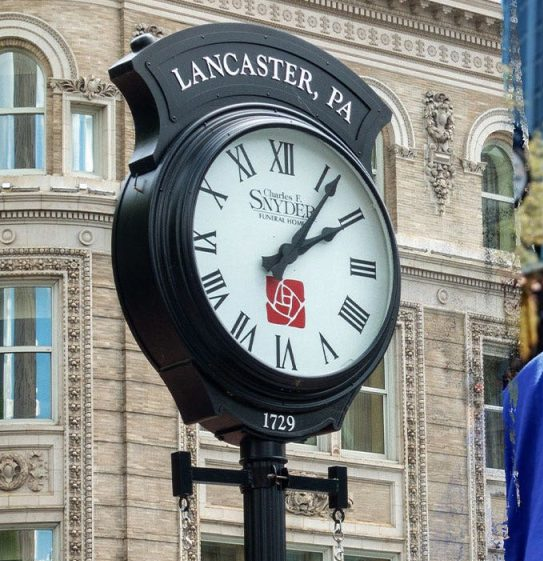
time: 2:06
